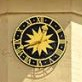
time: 12:41
